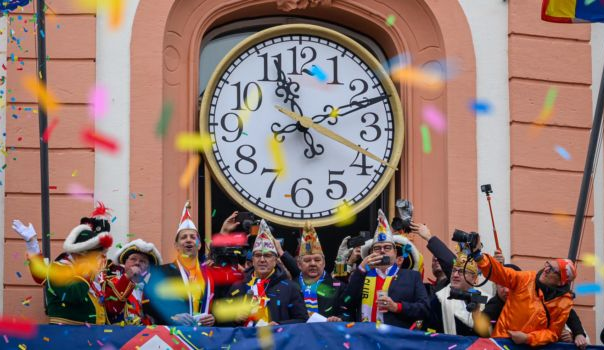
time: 11:11
